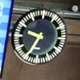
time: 9:34
